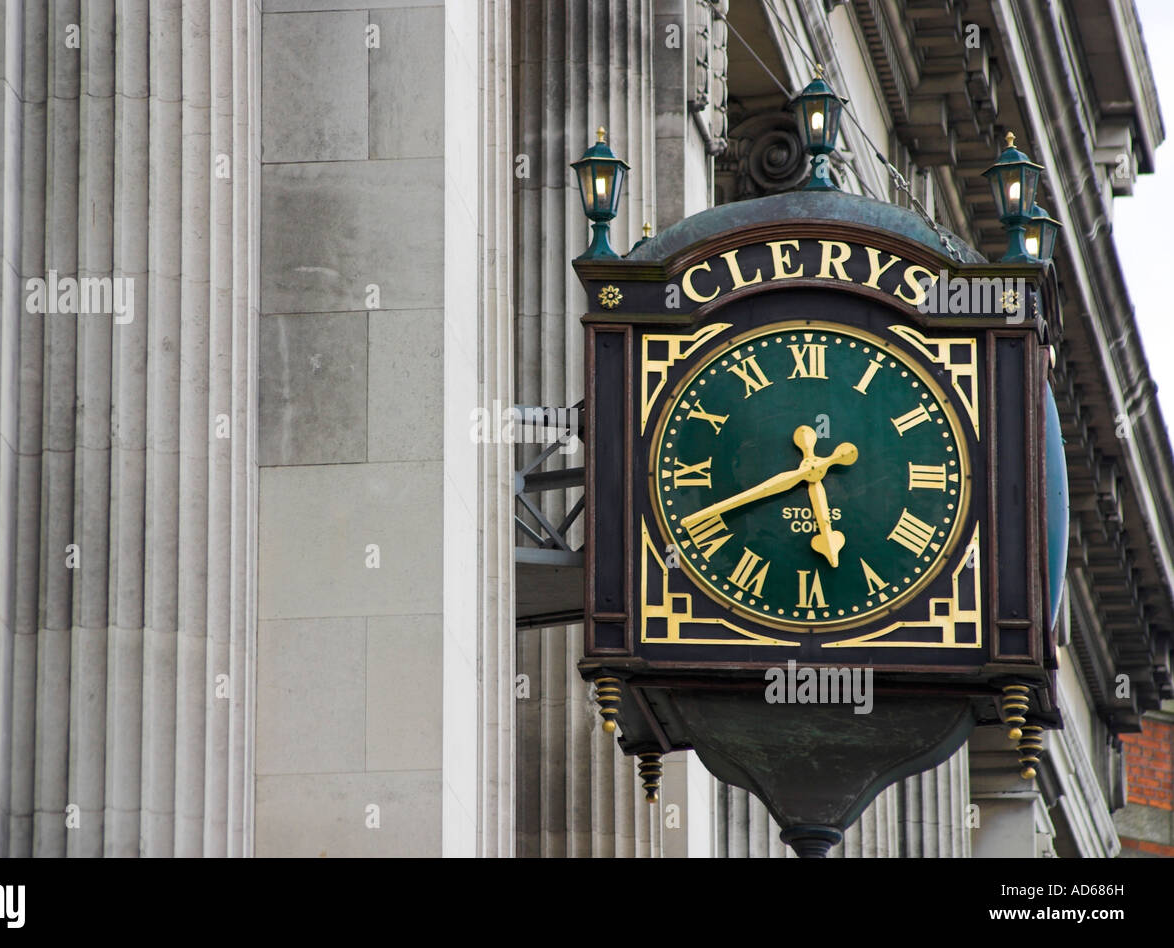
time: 5:41
